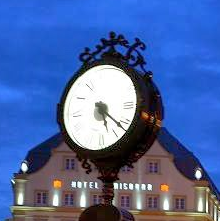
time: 5:21
